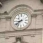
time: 8:38
